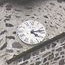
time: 4:12
